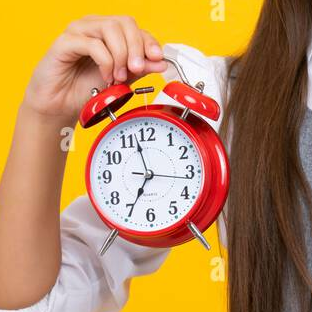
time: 6:57
